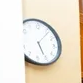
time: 5:06
